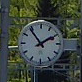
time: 1:54
